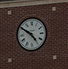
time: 4:50
